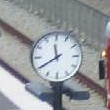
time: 11:40
